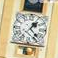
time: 1:22
